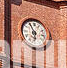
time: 5:54
